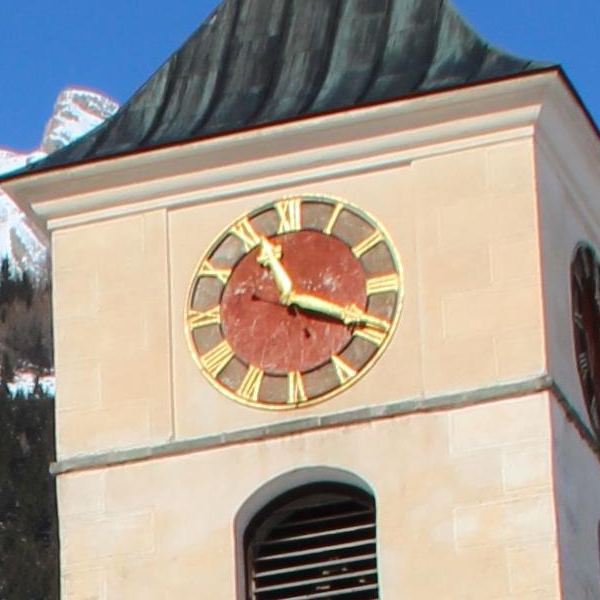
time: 11:18
